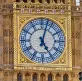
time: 5:02
